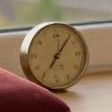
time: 7:06
